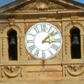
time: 3:08
